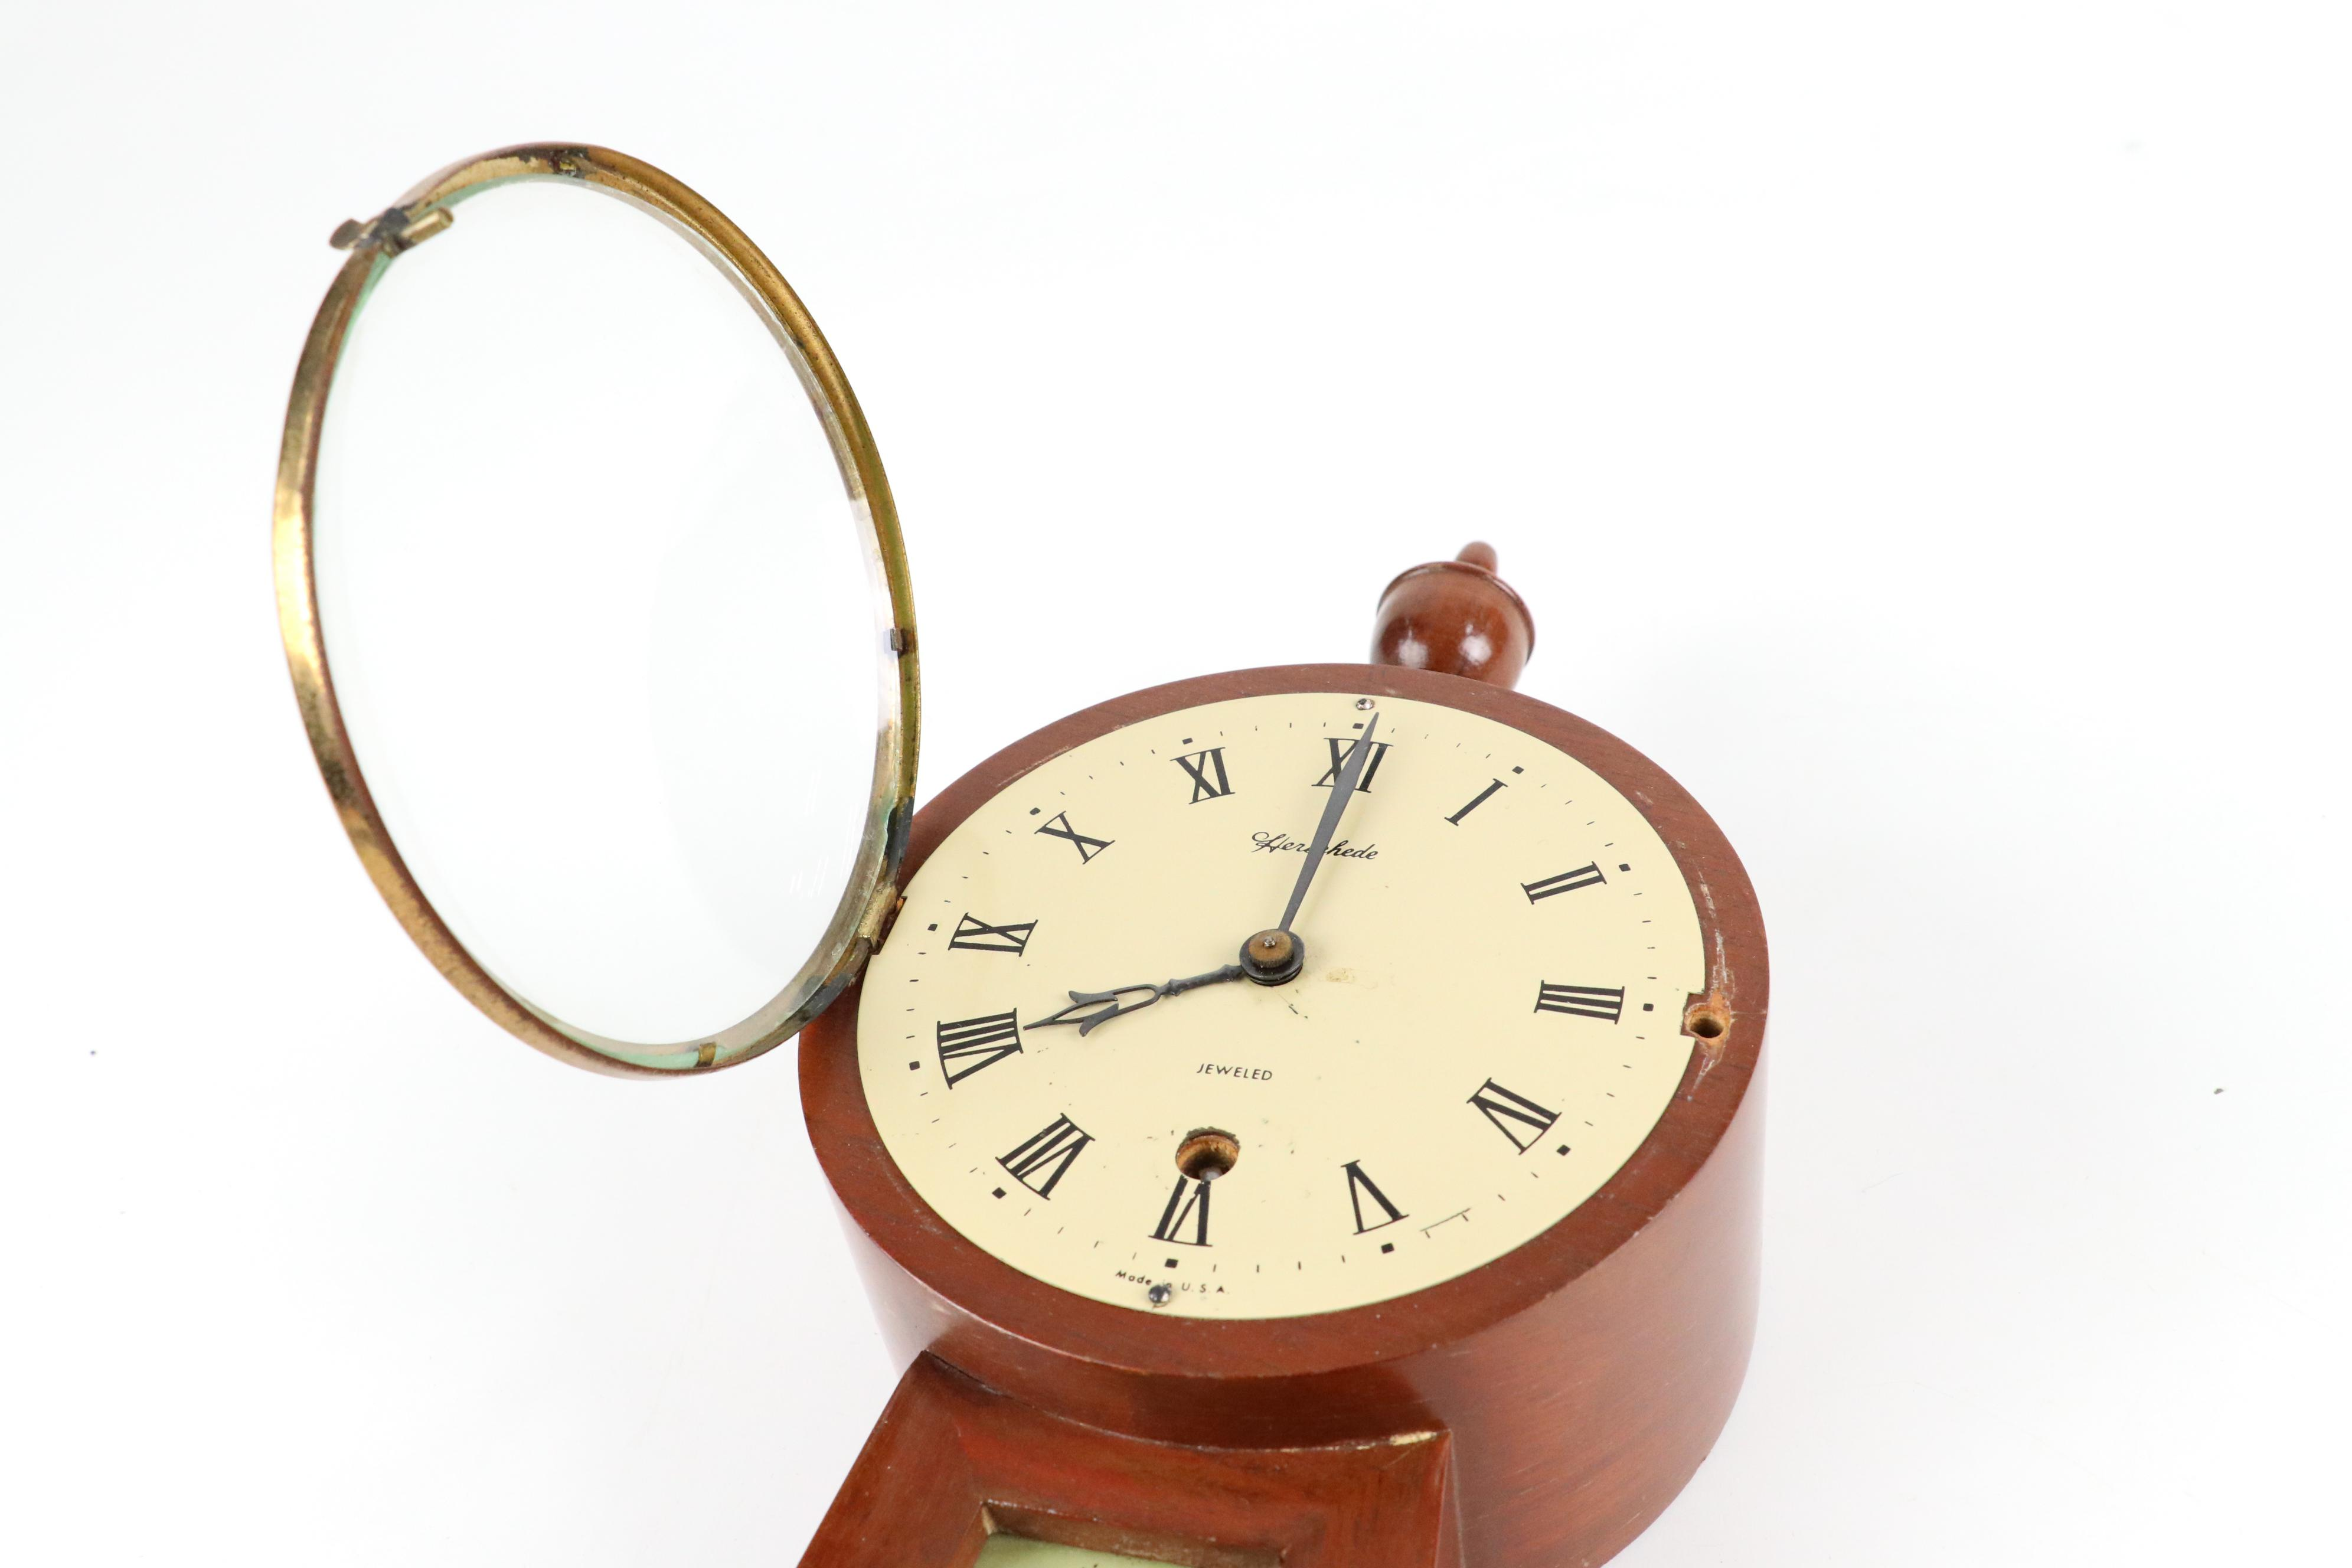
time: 8:00
